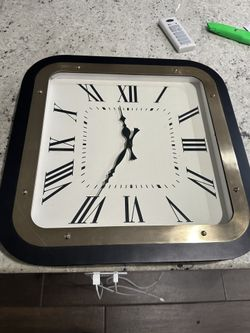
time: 11:34
